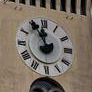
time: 11:55
